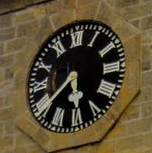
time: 5:38
